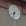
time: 7:32
